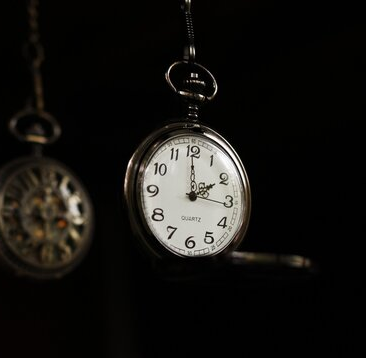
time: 1:59
